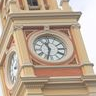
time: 11:33
